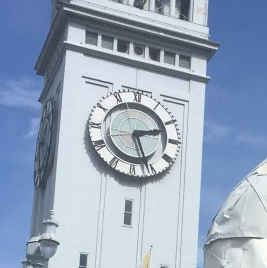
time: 2:26
